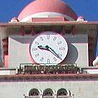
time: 9:22
